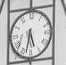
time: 5:32
